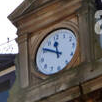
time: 11:50
